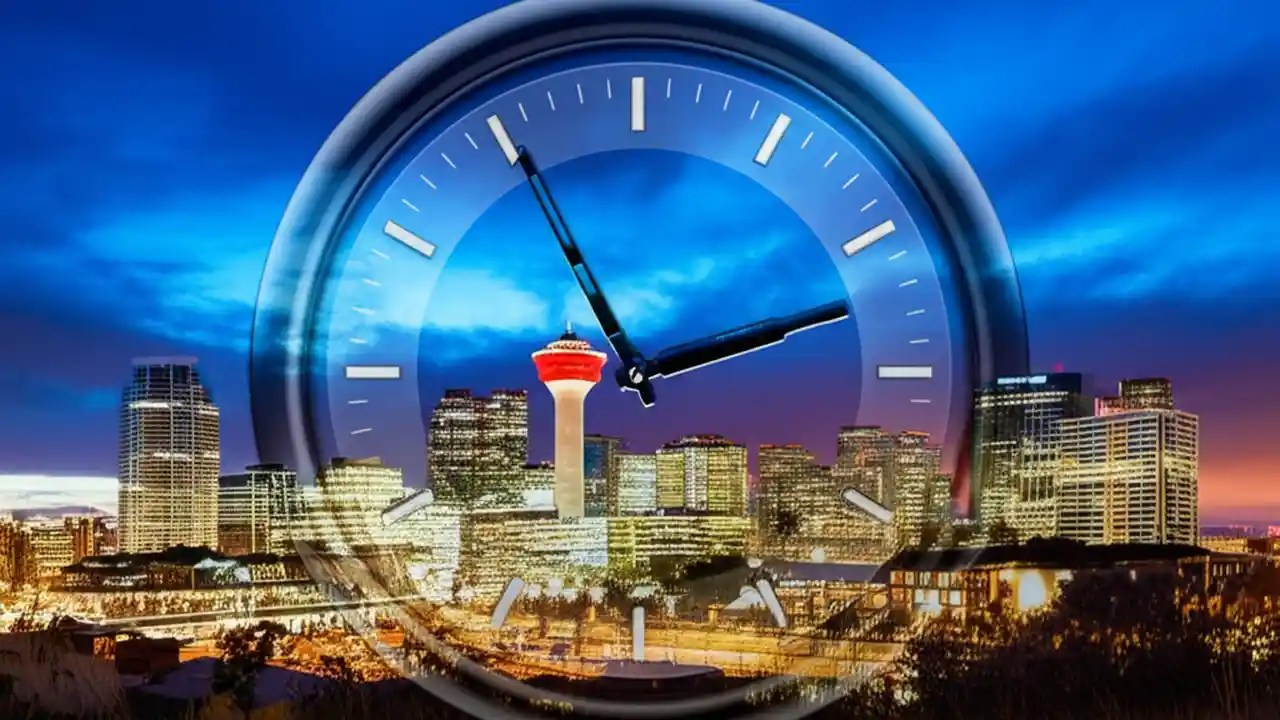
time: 11:12
